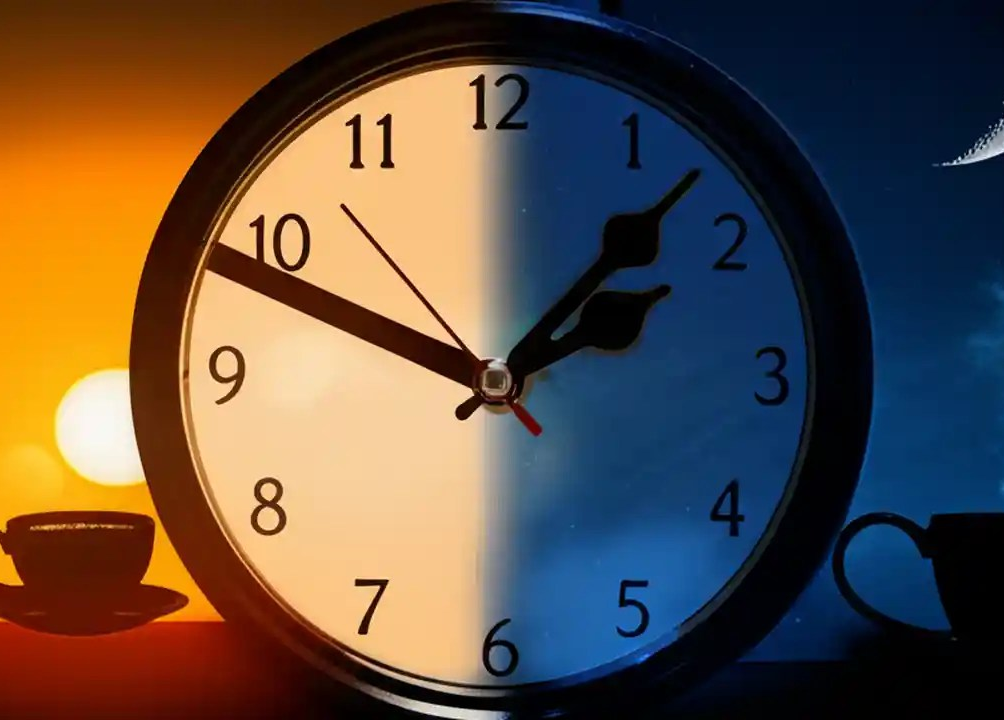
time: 2:07
